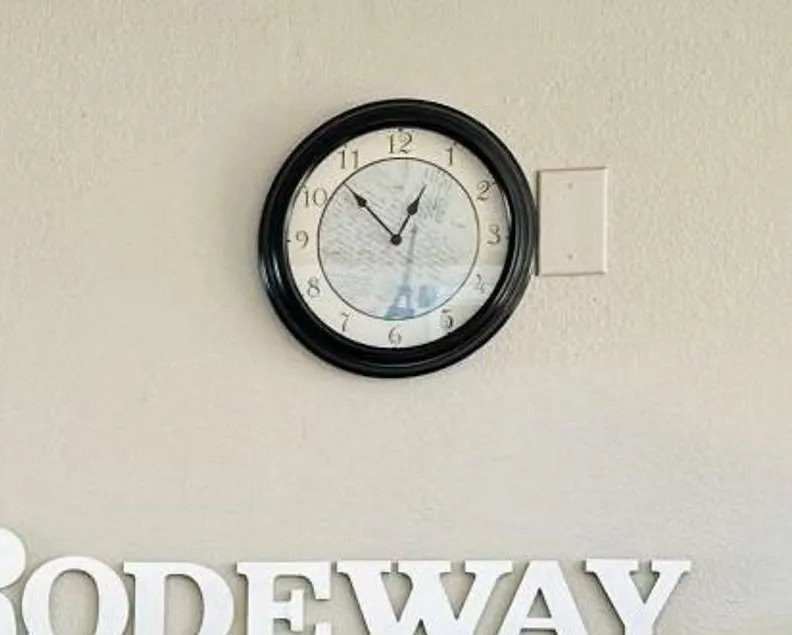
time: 12:52
